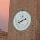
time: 8:11
